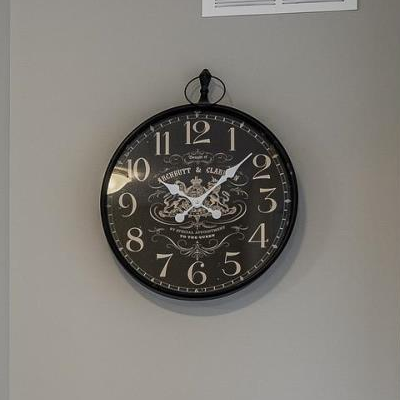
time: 10:07
